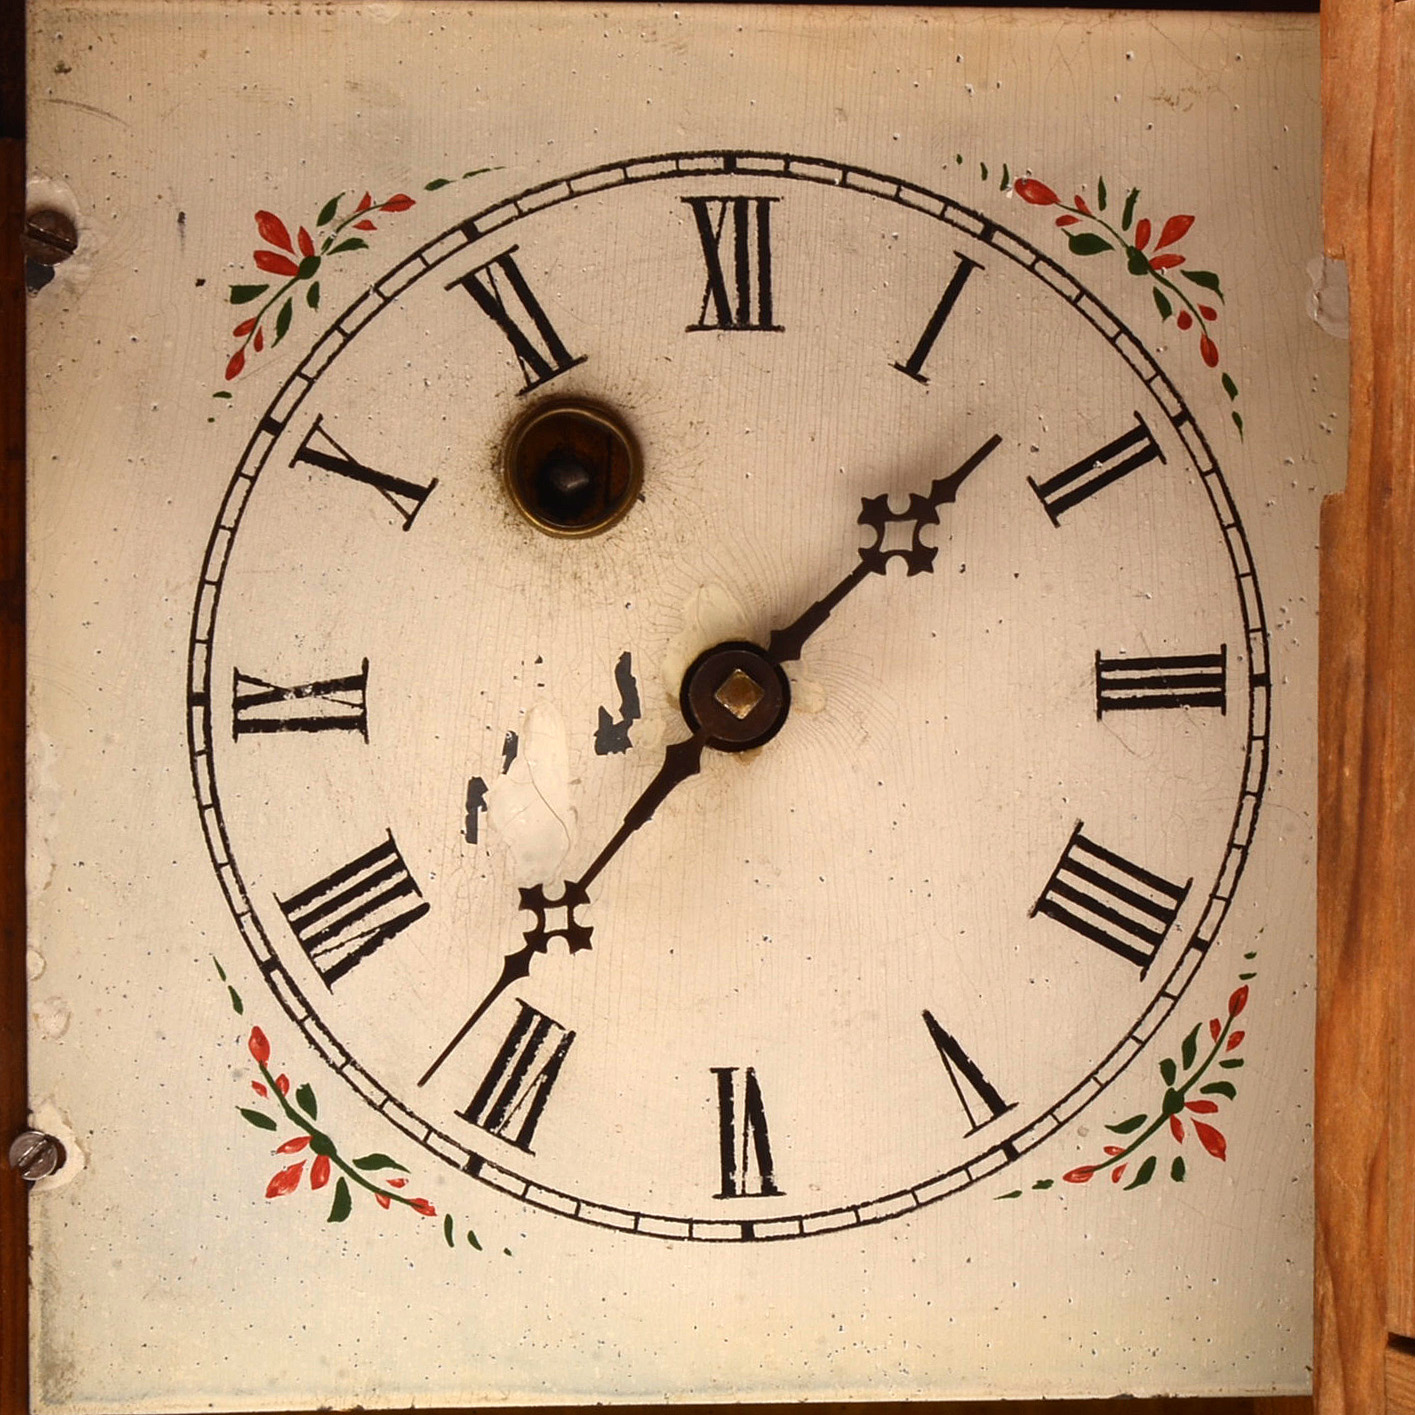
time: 1:36
